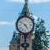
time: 4:50
